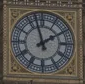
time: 1:57
